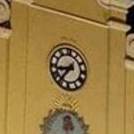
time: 8:36
